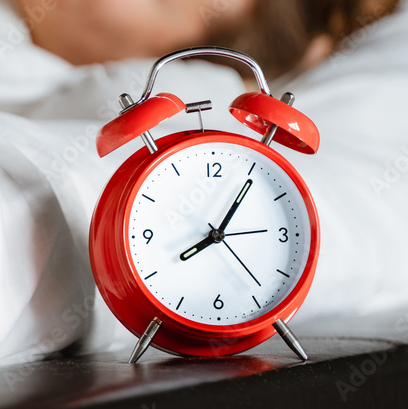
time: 8:05
